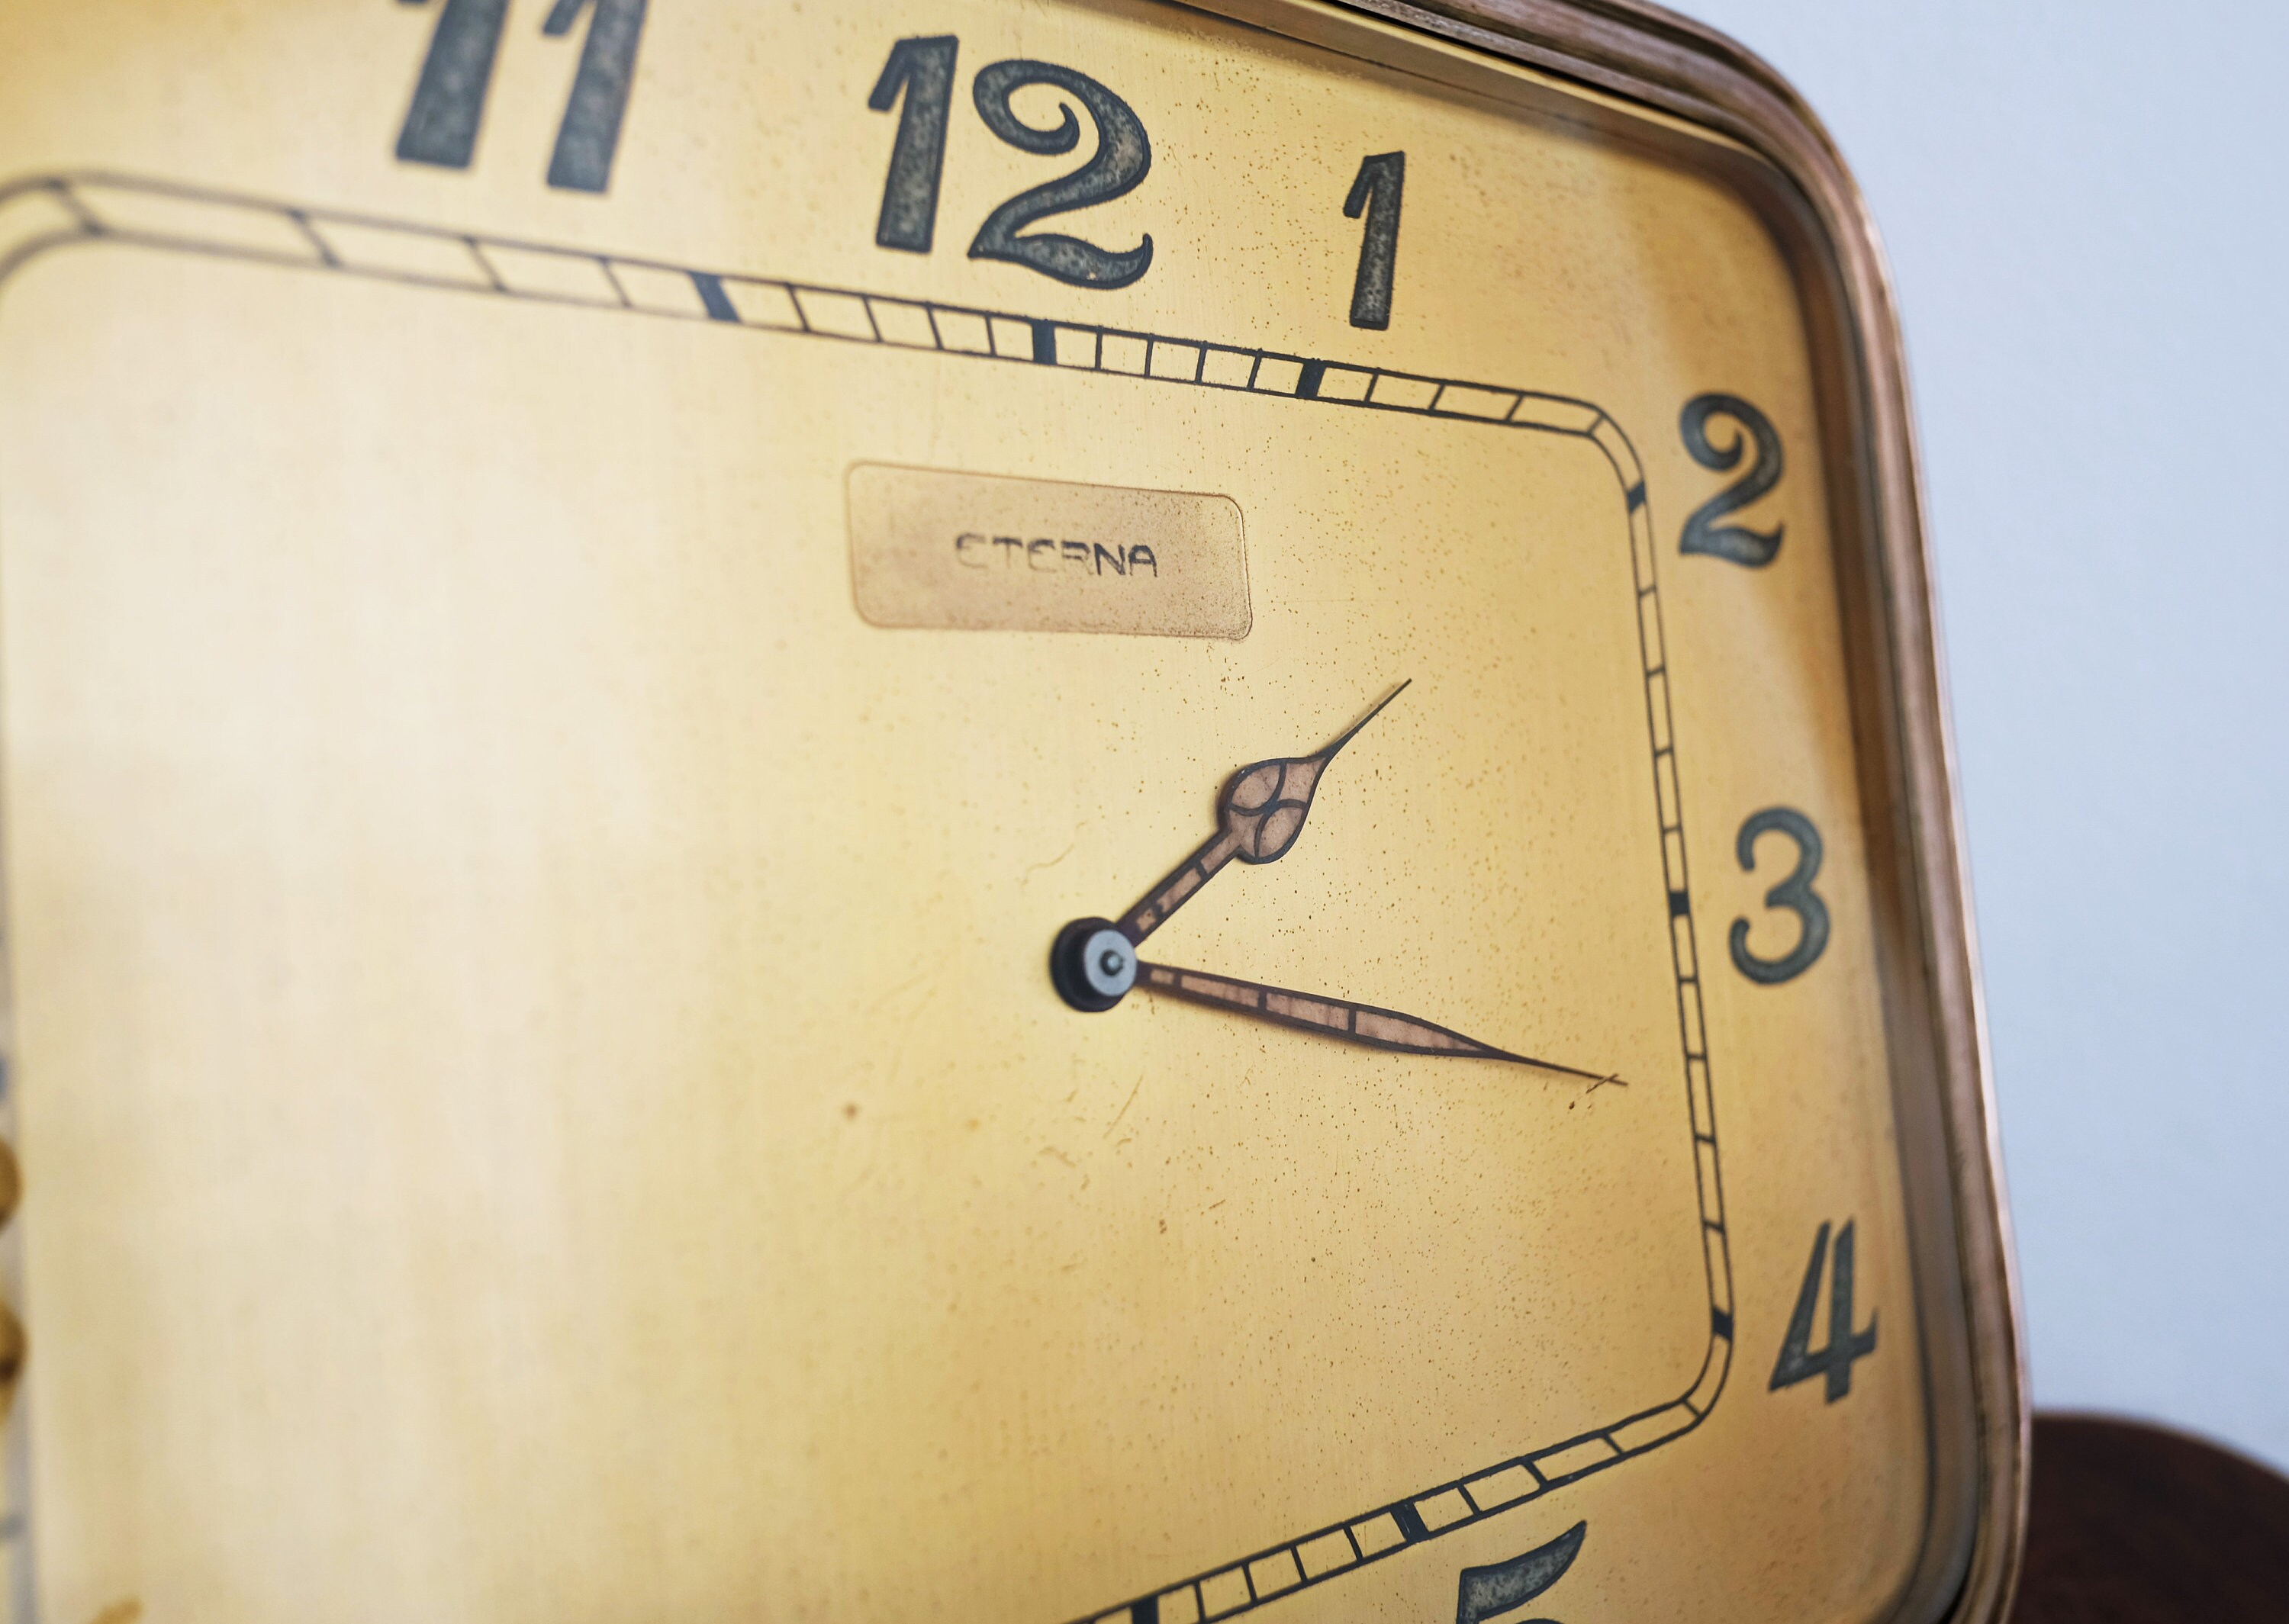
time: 1:18
